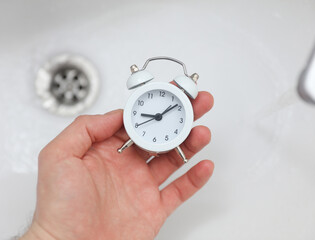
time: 9:08
